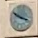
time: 3:49
